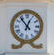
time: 12:53
